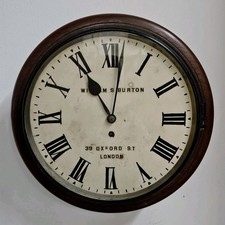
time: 11:01
